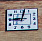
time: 9:01
